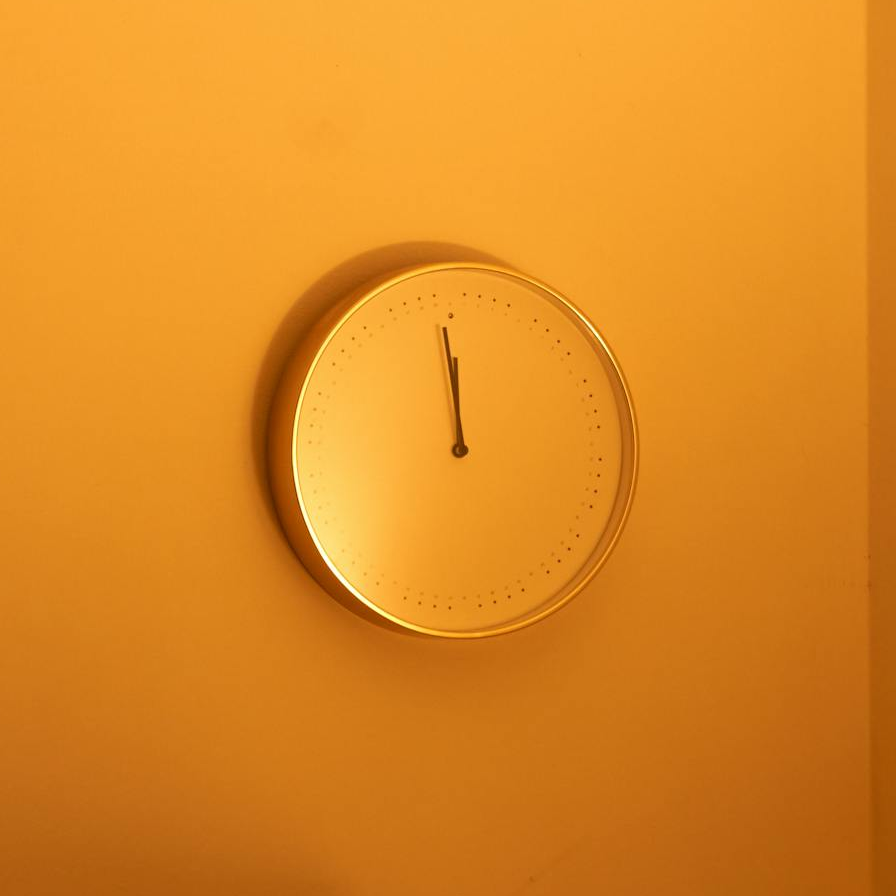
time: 11:58
